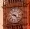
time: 9:22
